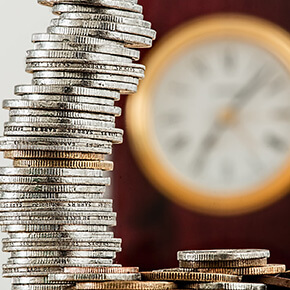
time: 7:07
